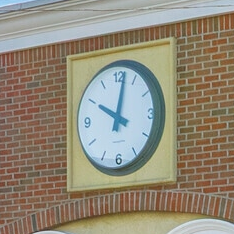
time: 10:01
